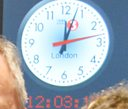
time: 12:03
